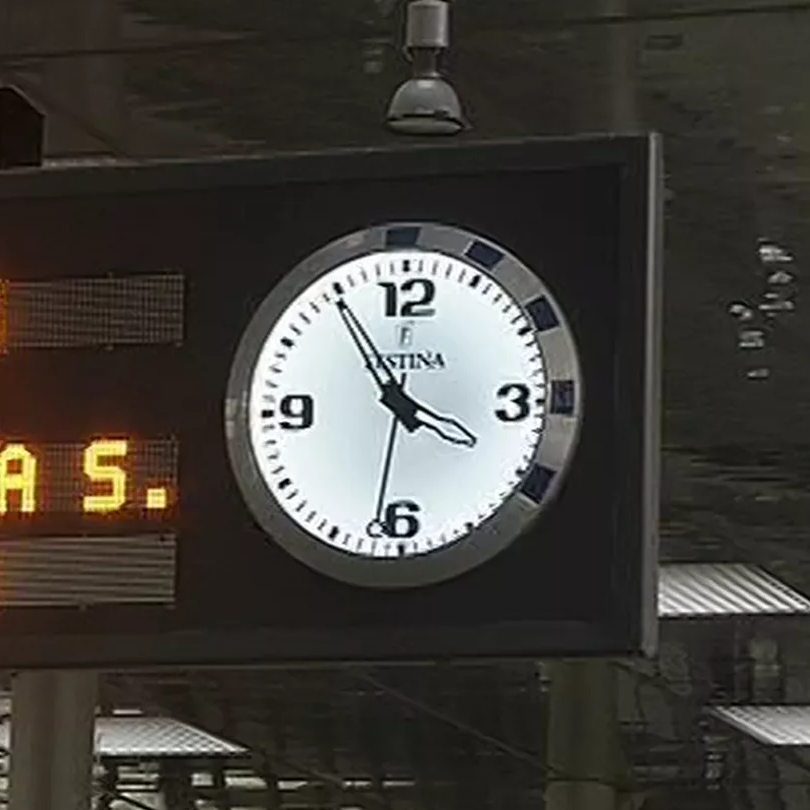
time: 3:54
